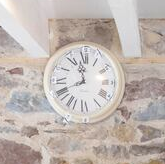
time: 11:41
